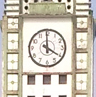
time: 3:59
